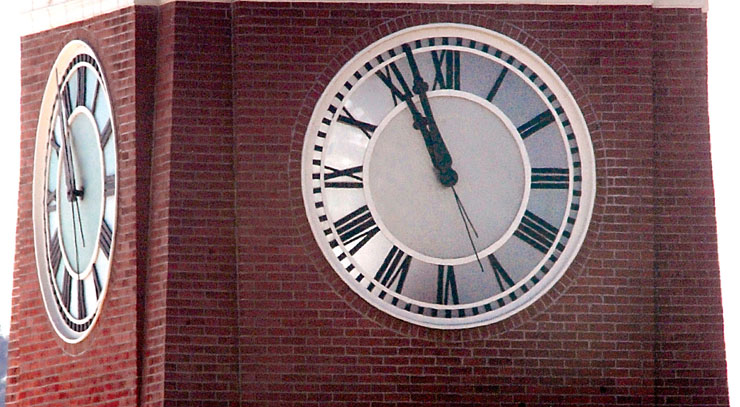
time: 10:56
